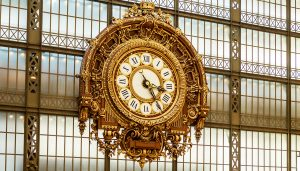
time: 3:24
